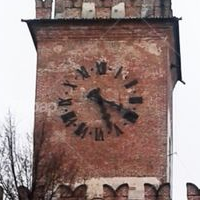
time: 5:18
